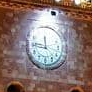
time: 11:46
